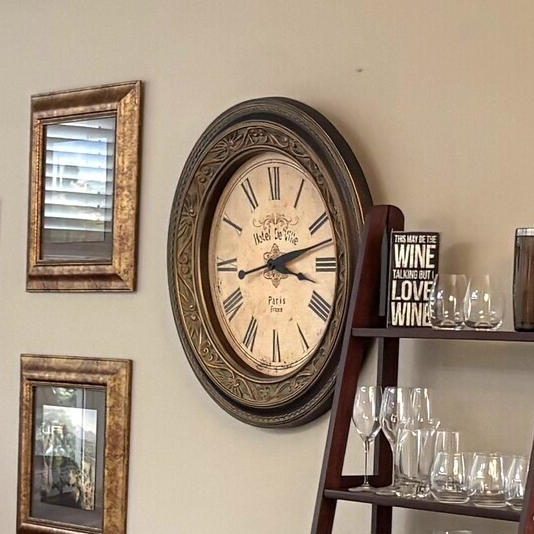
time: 3:12
